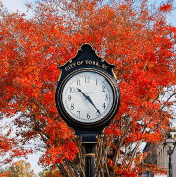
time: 10:23
